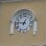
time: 12:46
